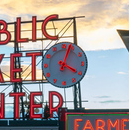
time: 4:03
